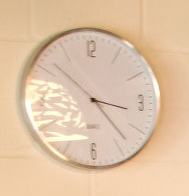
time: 3:23
